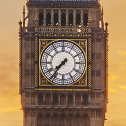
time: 7:36
